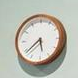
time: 5:38
